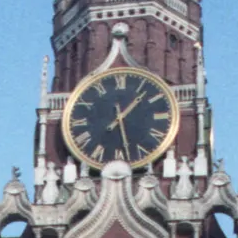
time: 1:28
